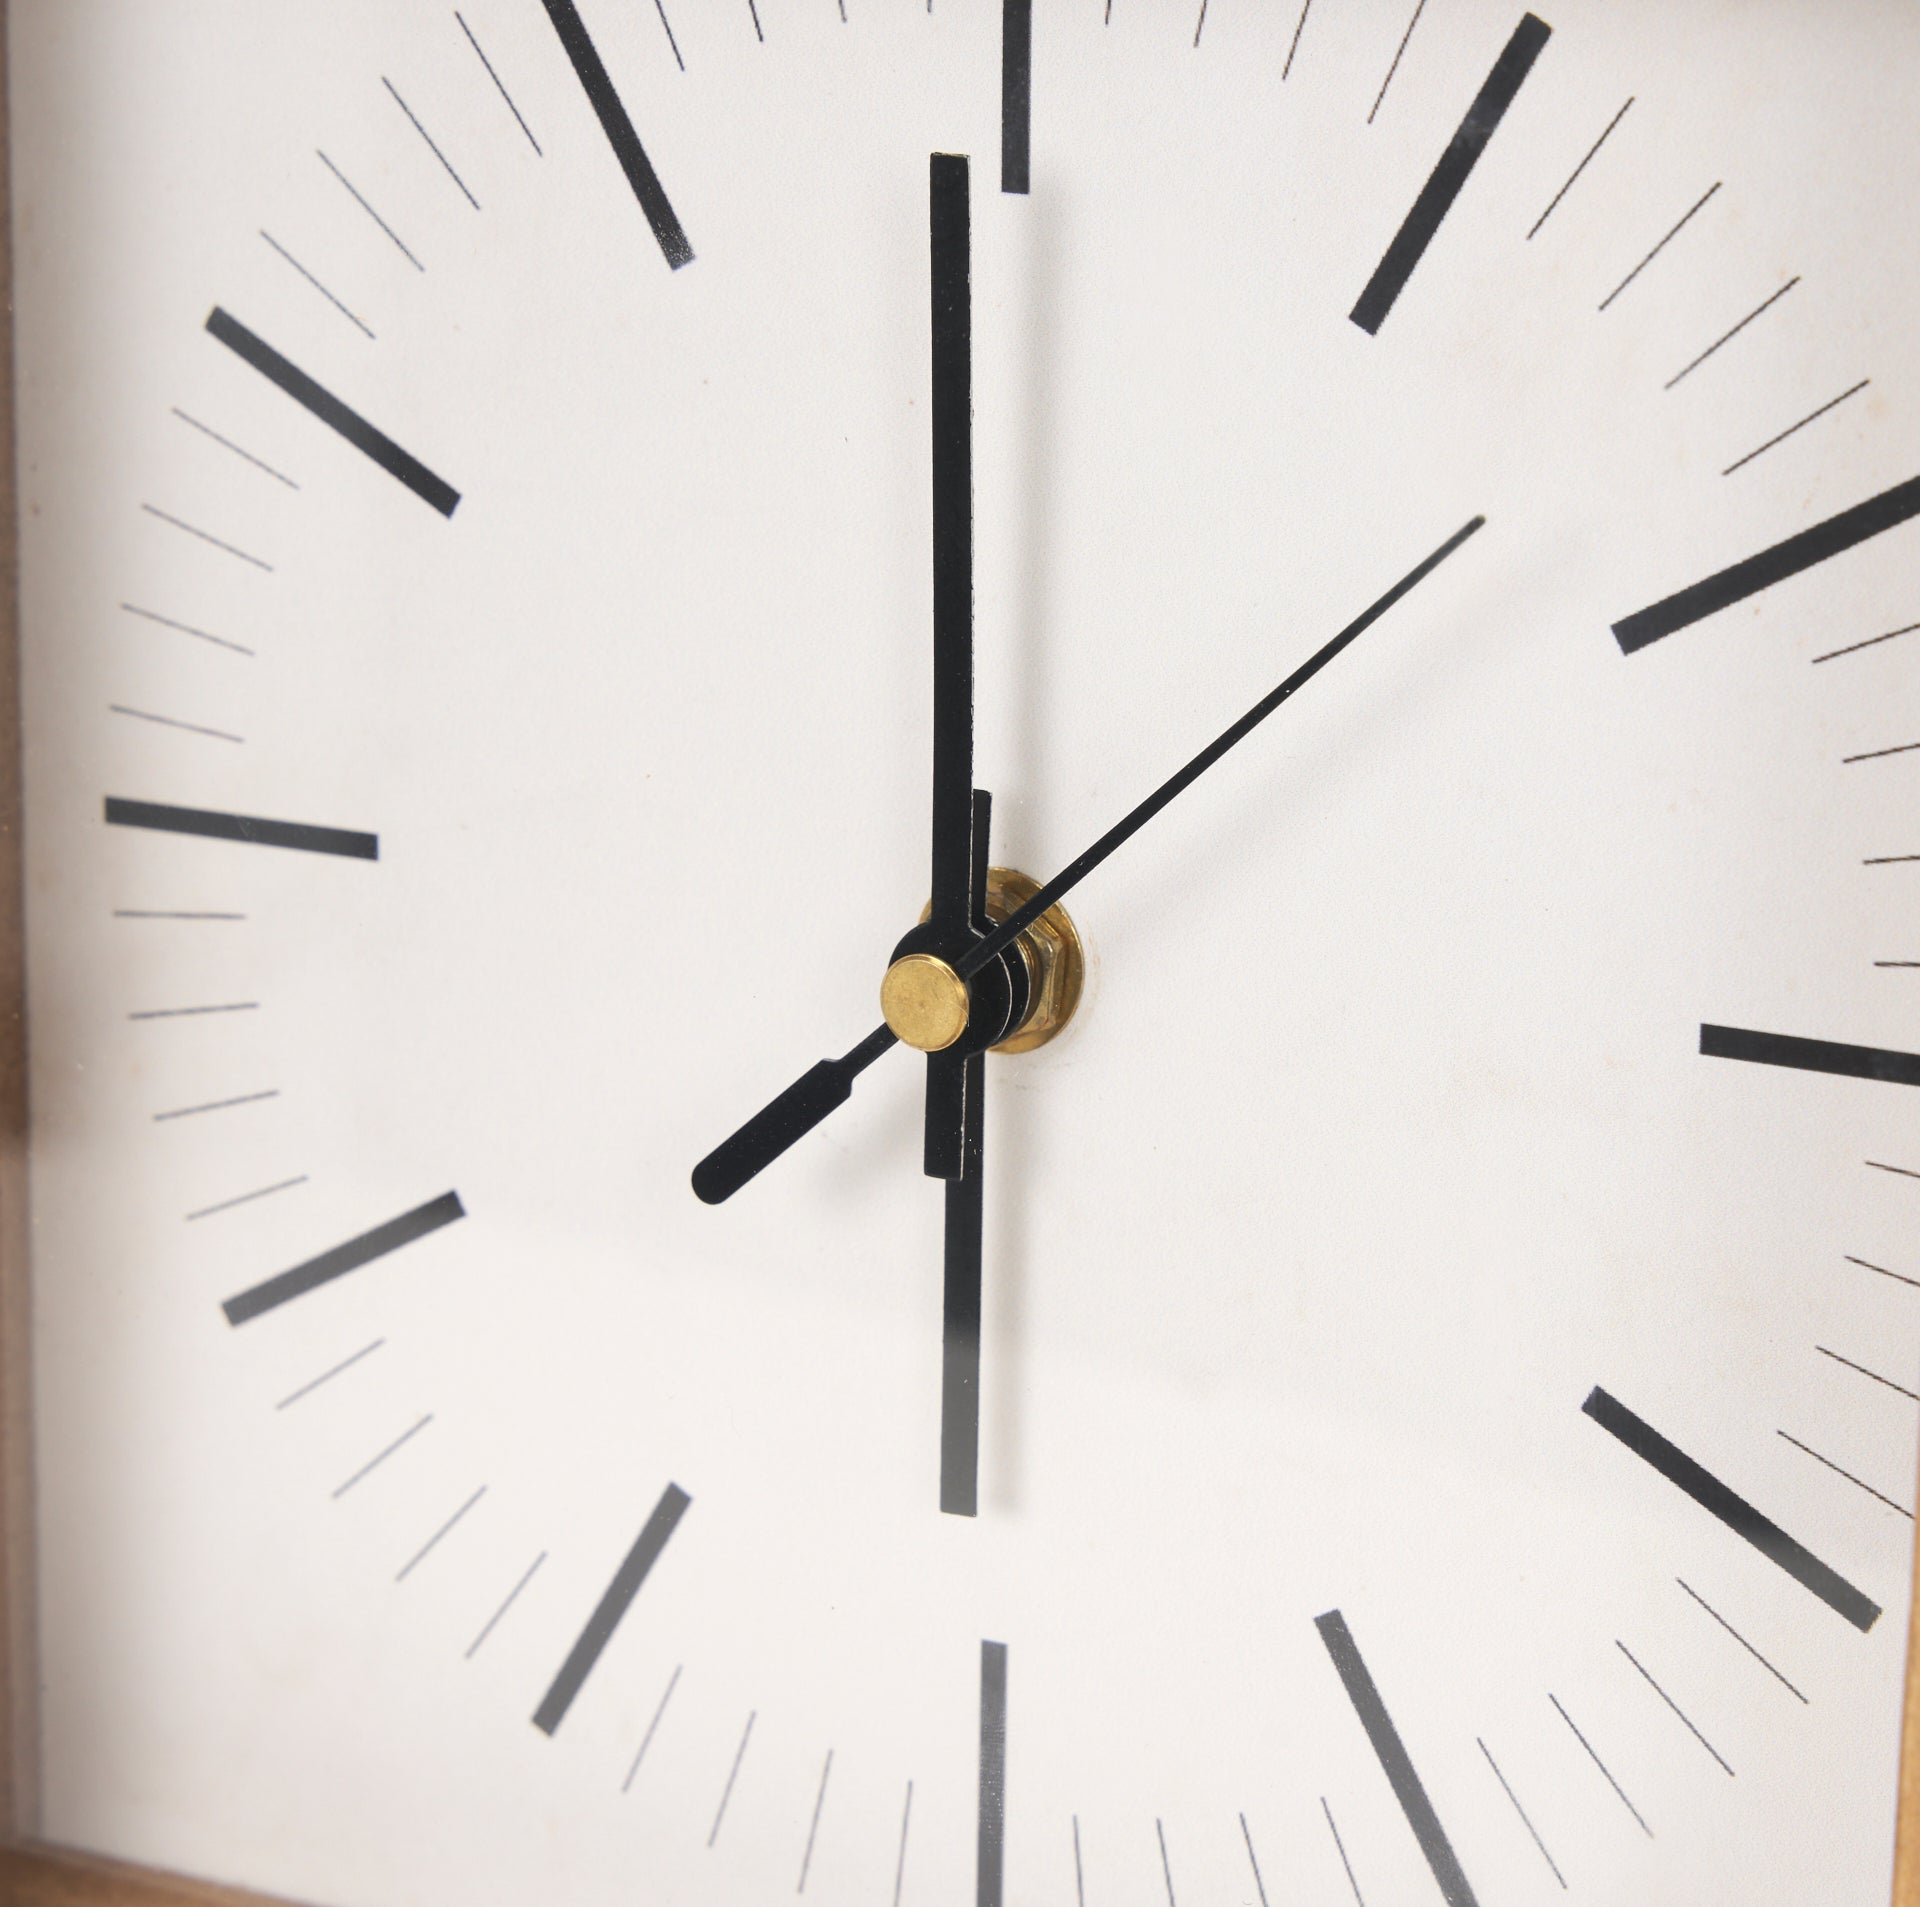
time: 5:59
